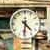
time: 4:31
